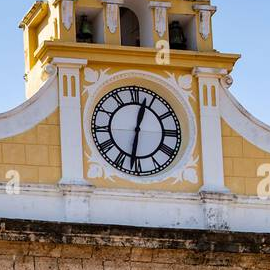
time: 12:31
